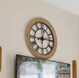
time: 12:14
